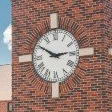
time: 2:50
